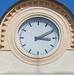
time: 3:10
